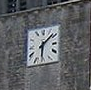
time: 6:08
